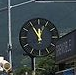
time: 11:54
